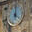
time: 4:01
